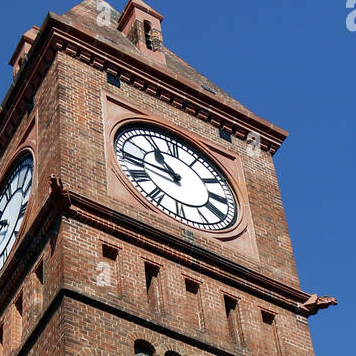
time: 10:45
